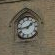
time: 1:43
